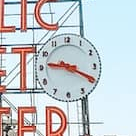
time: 9:19
